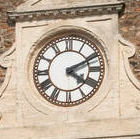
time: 4:10
